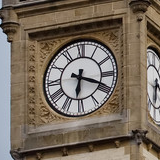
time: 6:18
